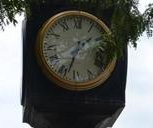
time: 1:33
